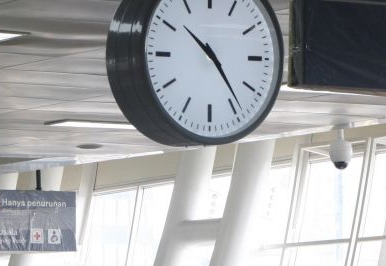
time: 10:23
